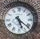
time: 5:21
